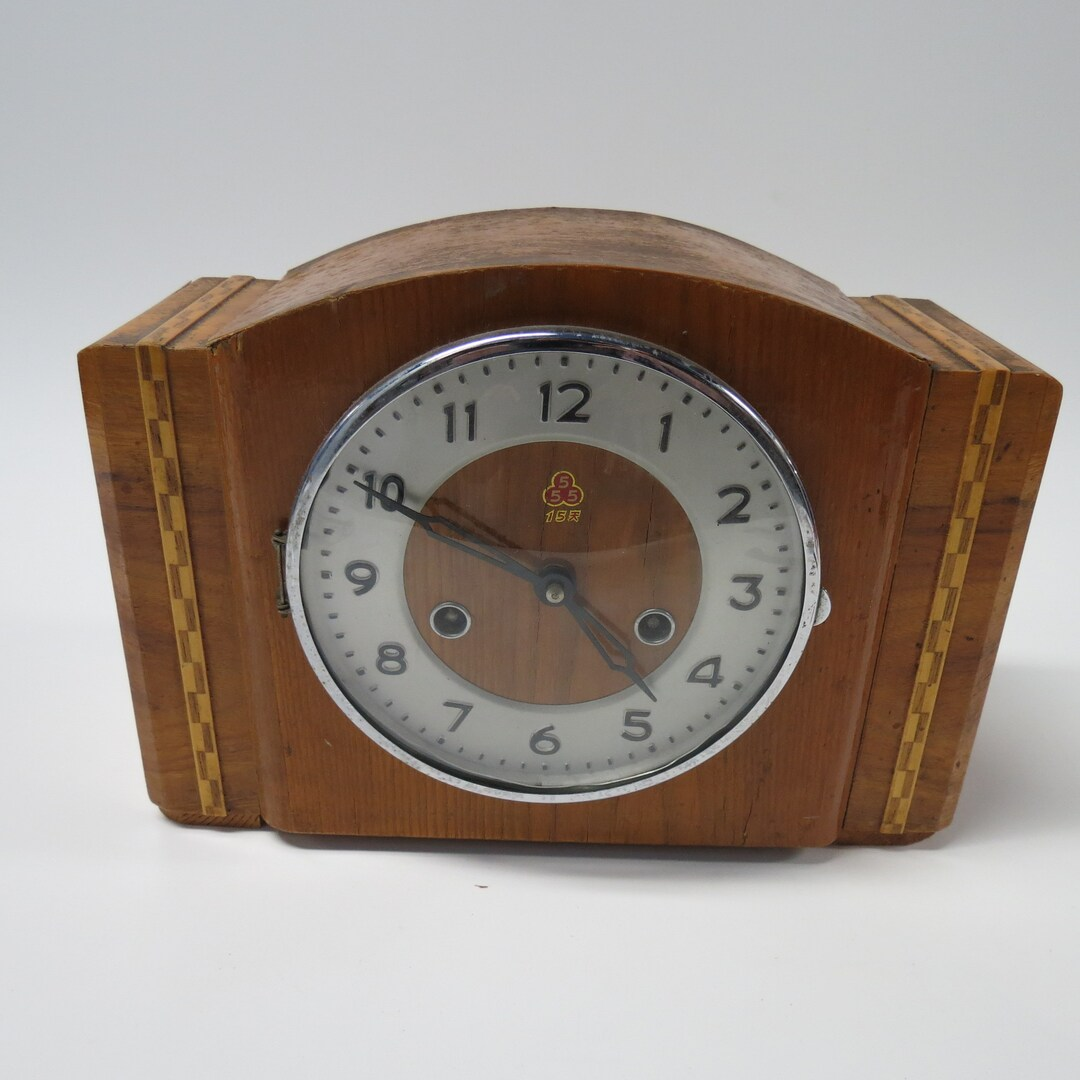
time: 4:49
